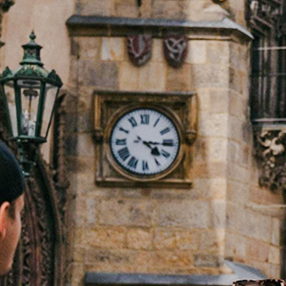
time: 4:15
